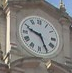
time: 9:25
